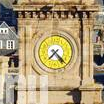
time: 7:22
